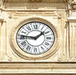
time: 1:46
